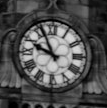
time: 9:56
